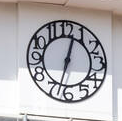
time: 12:32
